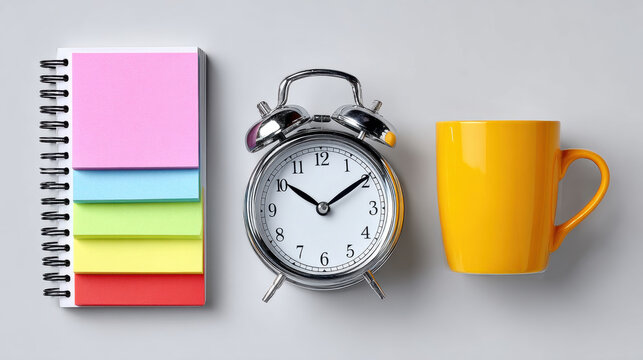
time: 10:09
